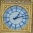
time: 1:12
